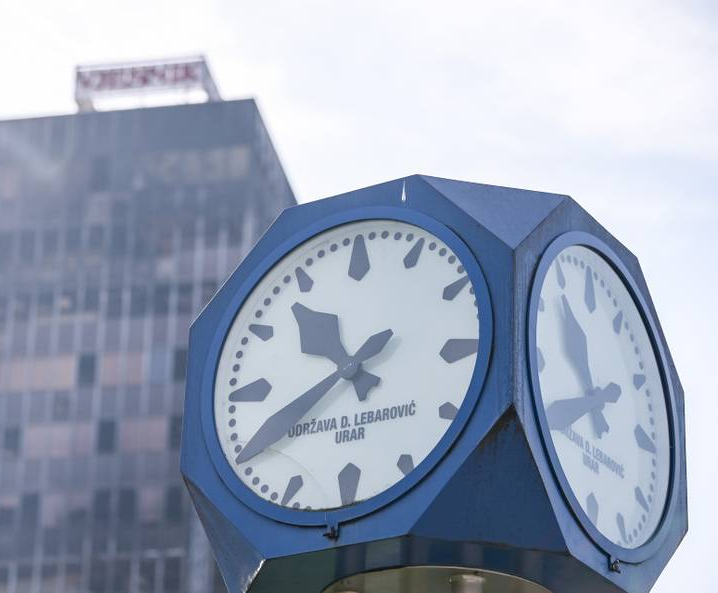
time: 10:40
